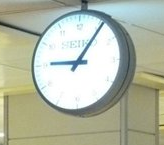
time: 9:05
